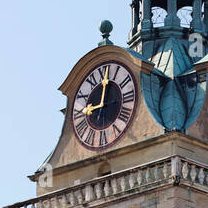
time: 9:01
